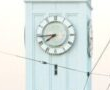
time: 7:44
